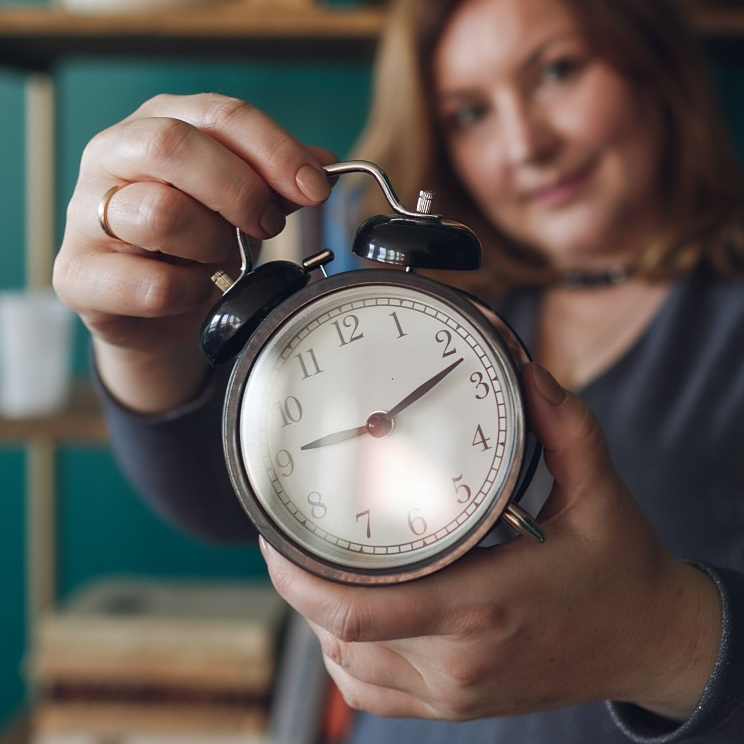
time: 9:12
